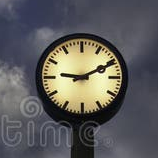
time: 9:10
